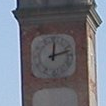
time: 12:12
